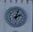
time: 2:02
